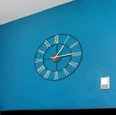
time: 1:14
